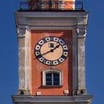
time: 1:40
